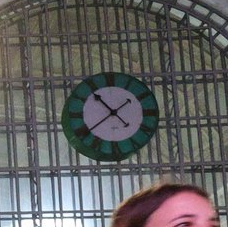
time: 1:53
